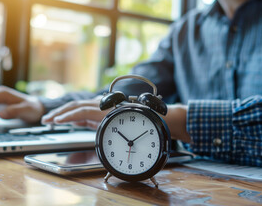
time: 10:09
